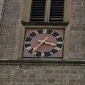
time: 3:36
